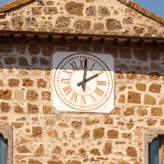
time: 2:01
